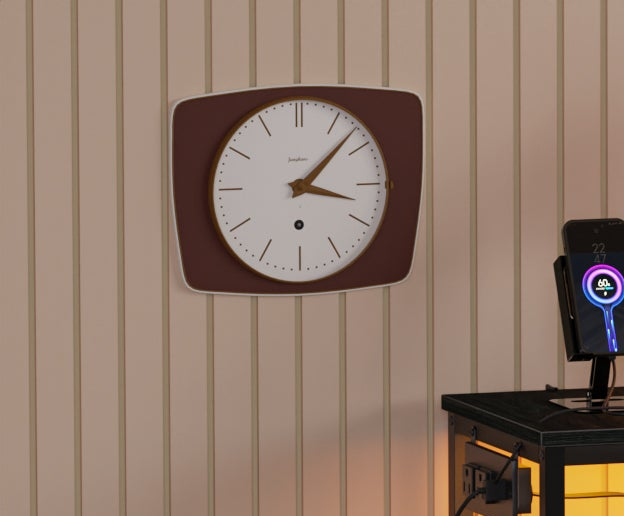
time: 3:07
